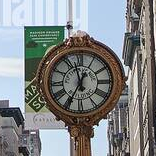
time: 11:35
